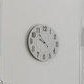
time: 9:53
